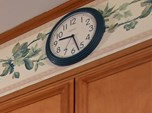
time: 9:27
